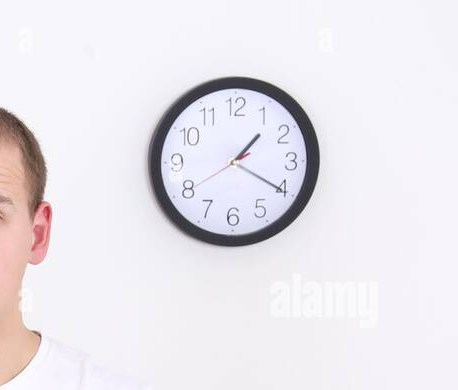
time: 1:20
